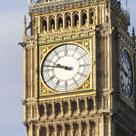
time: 9:47
